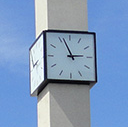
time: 2:56
